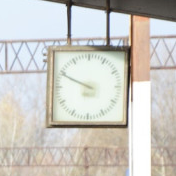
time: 9:49
